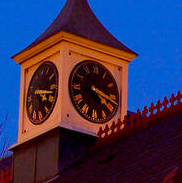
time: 4:17
